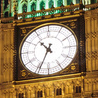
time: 10:34
